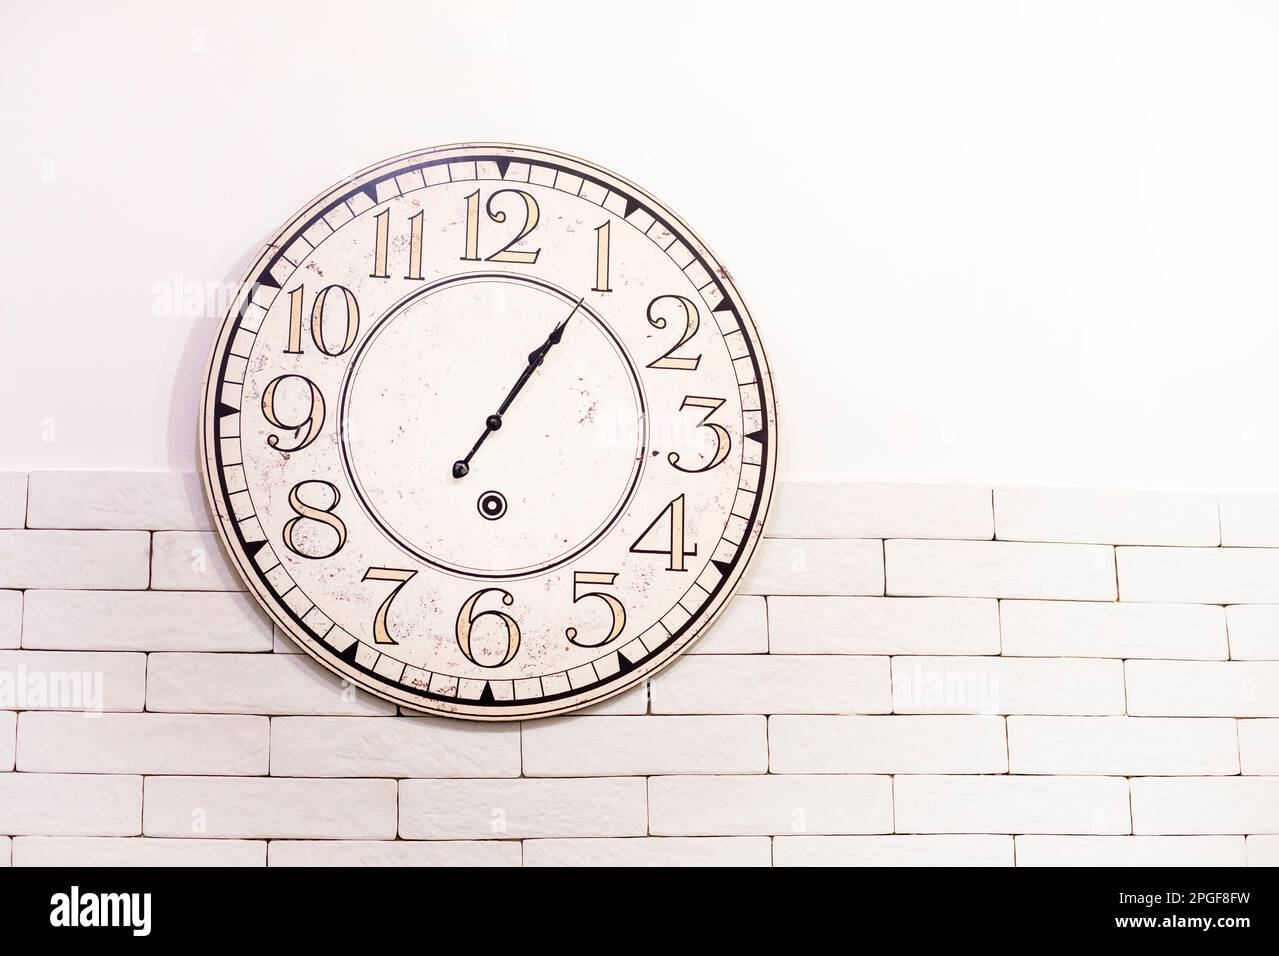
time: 1:06
